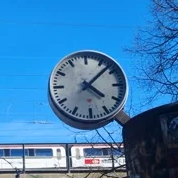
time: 4:07
